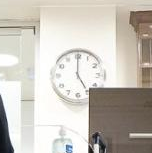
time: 5:00
